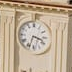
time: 3:33
